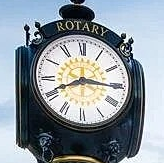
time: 8:15
